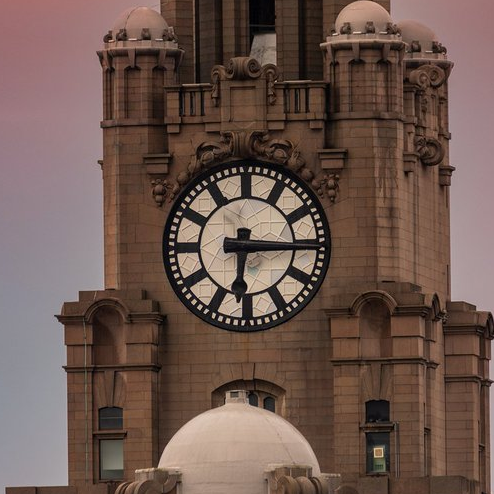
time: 6:15
